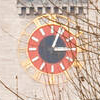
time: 3:04
